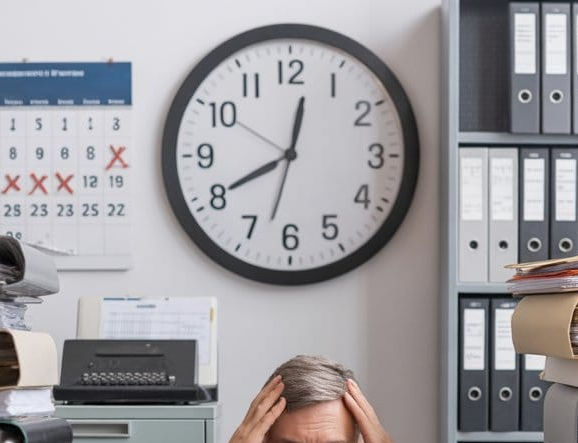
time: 8:01
